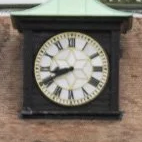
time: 8:40
